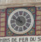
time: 10:48
